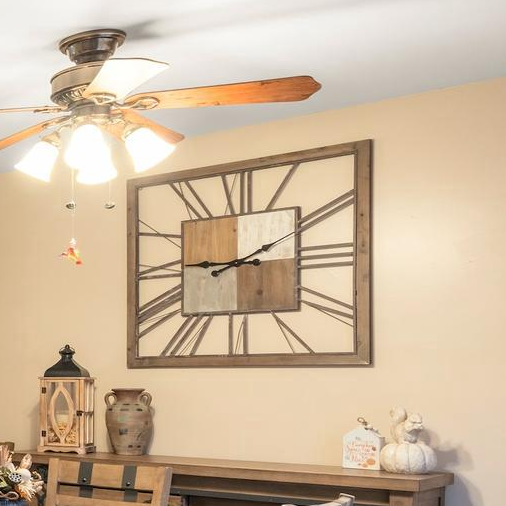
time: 9:10
